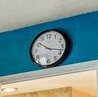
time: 10:17
